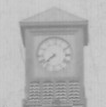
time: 7:37
